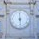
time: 5:59
